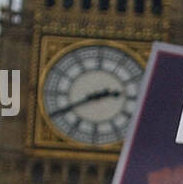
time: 2:40
